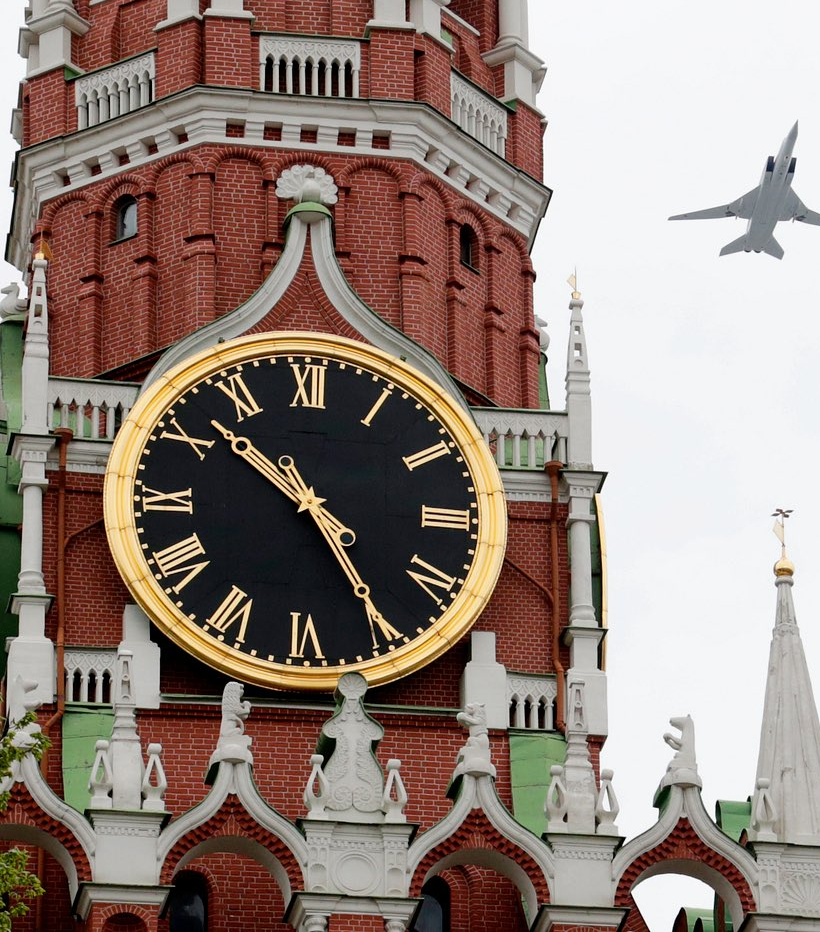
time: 10:24
